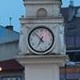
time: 6:52
